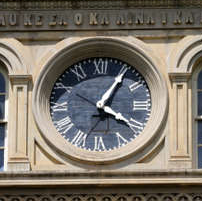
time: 4:05
